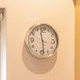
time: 11:28
